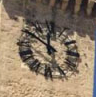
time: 11:50
